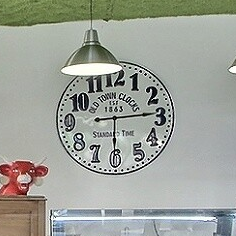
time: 6:14
